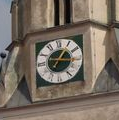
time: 1:16
